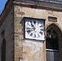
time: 10:42
